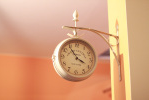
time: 3:54
